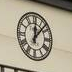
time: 12:07
